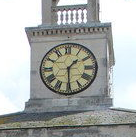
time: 1:29
